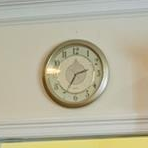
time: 2:34
